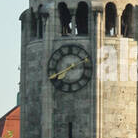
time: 7:12
